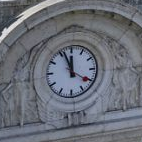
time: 11:56
